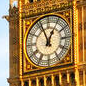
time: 12:57
